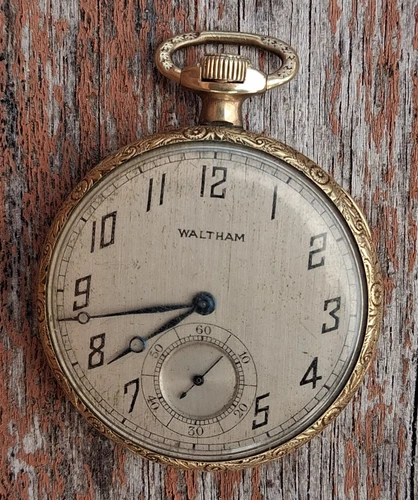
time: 7:43
